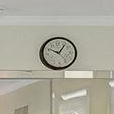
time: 10:06
